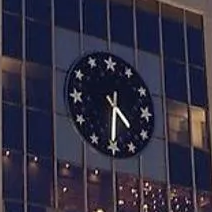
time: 4:31
